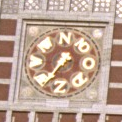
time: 7:36
